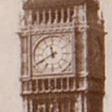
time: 11:40
